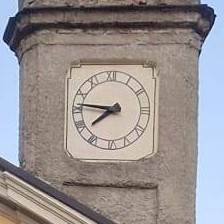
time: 7:46
